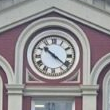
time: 10:21
